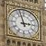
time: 2:57
